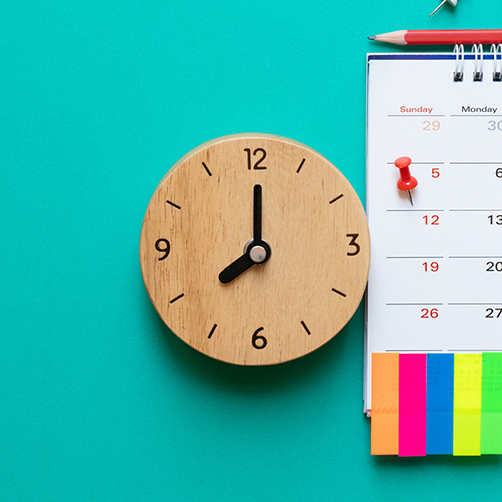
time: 8:00
